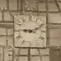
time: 9:11
